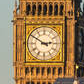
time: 2:50
